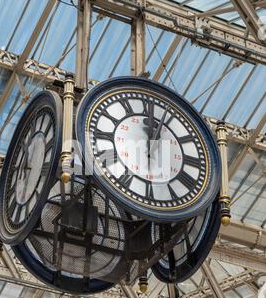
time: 12:30
